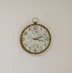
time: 2:17
